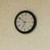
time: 6:49
